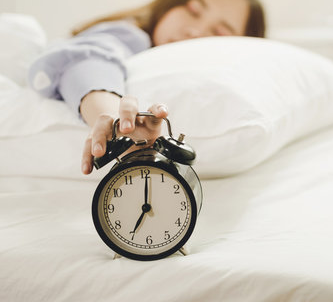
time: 7:00
